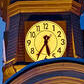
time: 5:35
